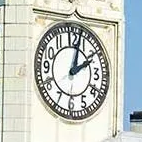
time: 2:02
